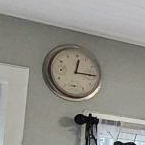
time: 12:14
